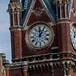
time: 12:05
